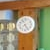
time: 7:25
